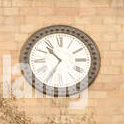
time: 10:34
